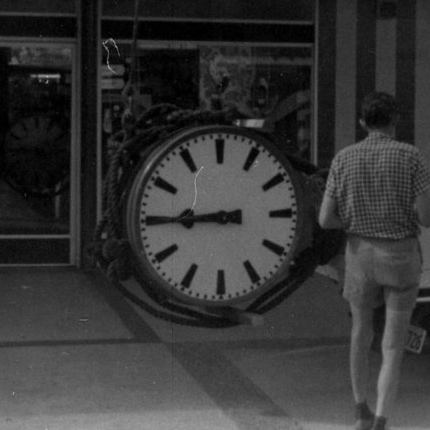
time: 8:45
